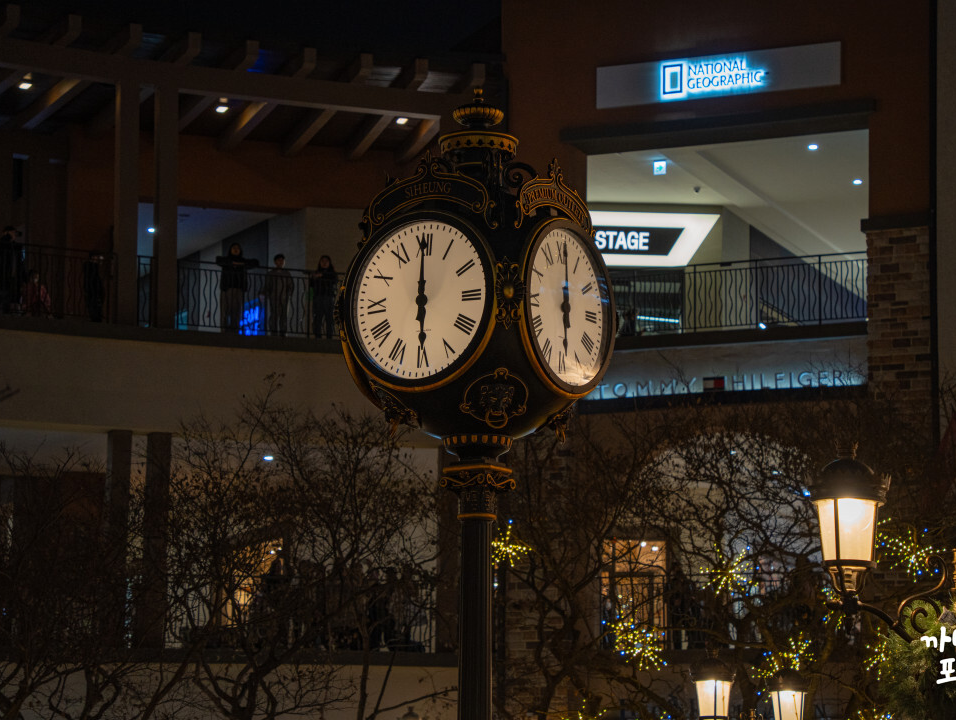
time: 6:00
